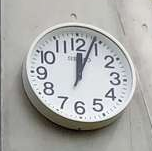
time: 12:03
